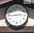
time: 2:44
